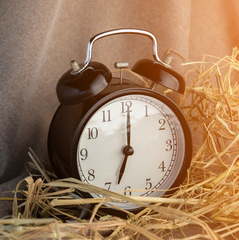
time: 7:00
